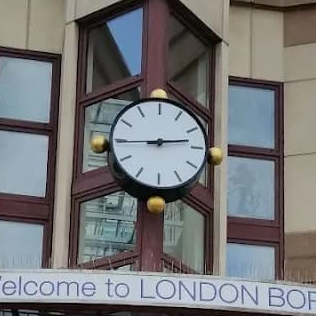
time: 2:44
